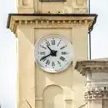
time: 10:40
